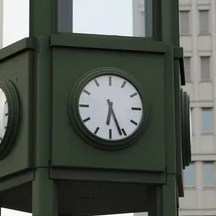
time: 6:26
